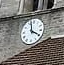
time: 3:58
